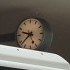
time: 9:38
